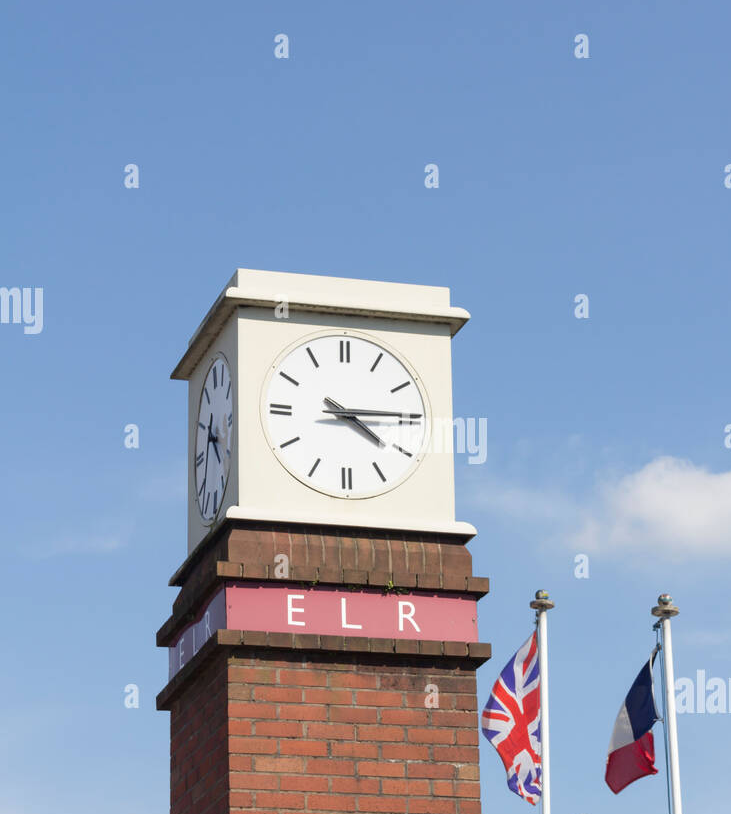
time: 4:14
